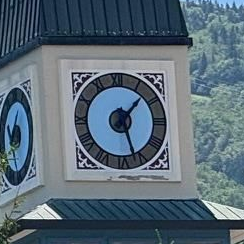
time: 1:26
